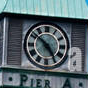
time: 4:51
